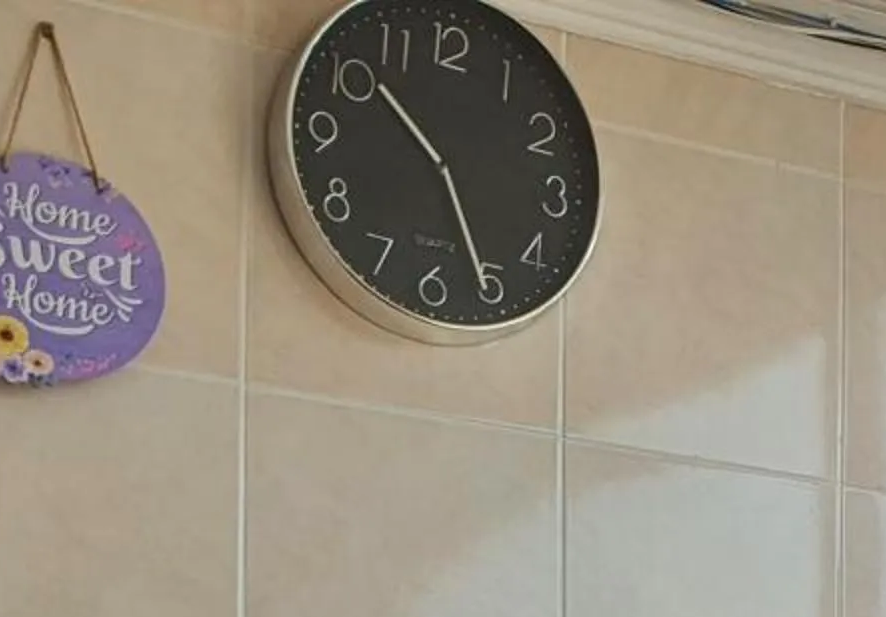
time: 10:25
